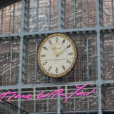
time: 11:09
